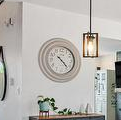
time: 4:22
